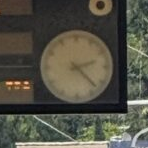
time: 2:22
